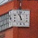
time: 10:58
